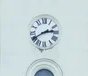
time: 2:40
